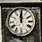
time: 12:00
